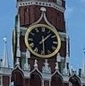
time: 1:29
